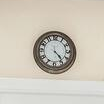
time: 4:23
